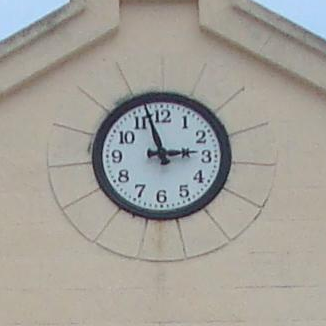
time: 2:57
